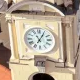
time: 11:04
